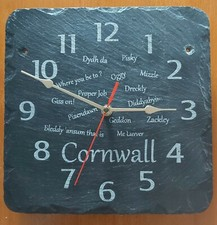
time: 2:48
